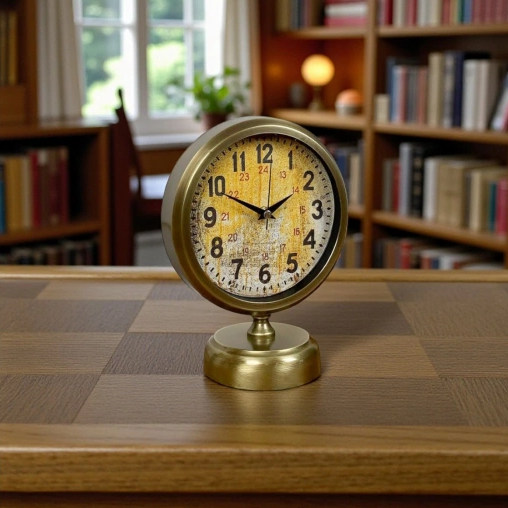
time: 1:49
